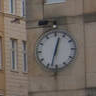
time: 12:32
